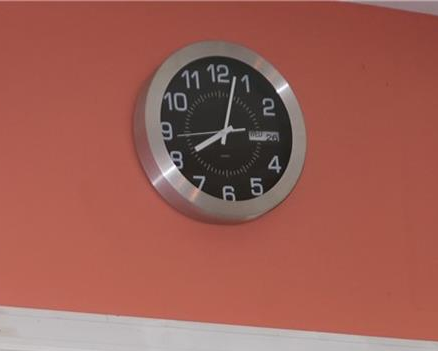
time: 8:02
